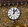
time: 12:07
